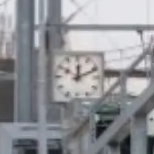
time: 12:11
